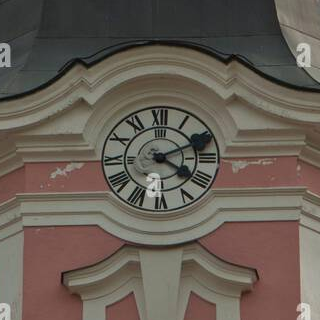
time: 4:10
